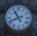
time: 10:41
